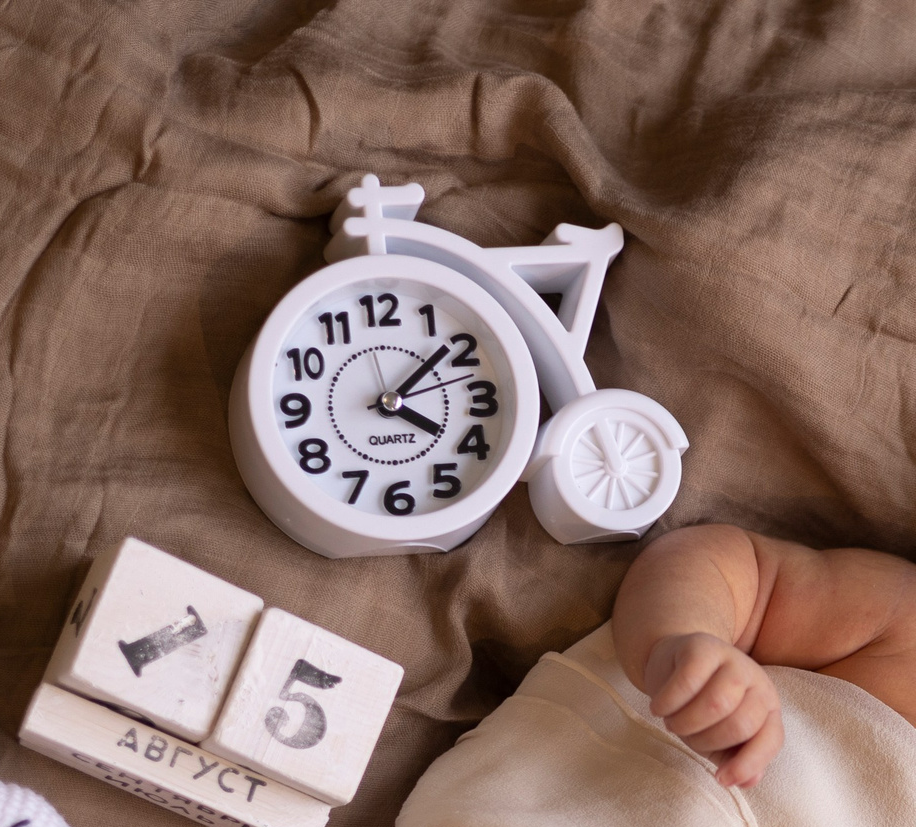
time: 4:08
